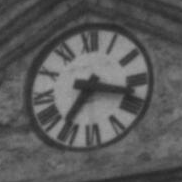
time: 7:17
